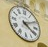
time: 4:10
